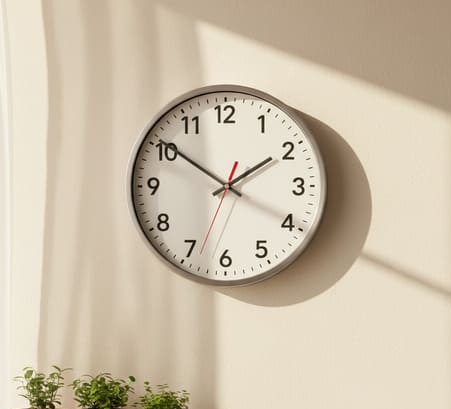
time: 1:50
